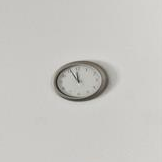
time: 11:55
